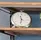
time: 11:32
